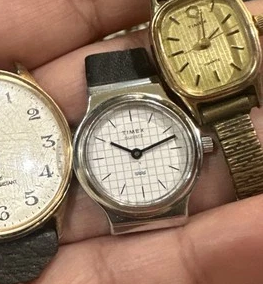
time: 10:11
